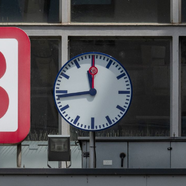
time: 11:43
